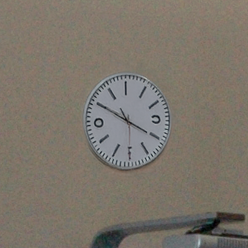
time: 3:50
